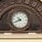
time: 10:41
